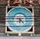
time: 5:14
